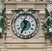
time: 11:34
